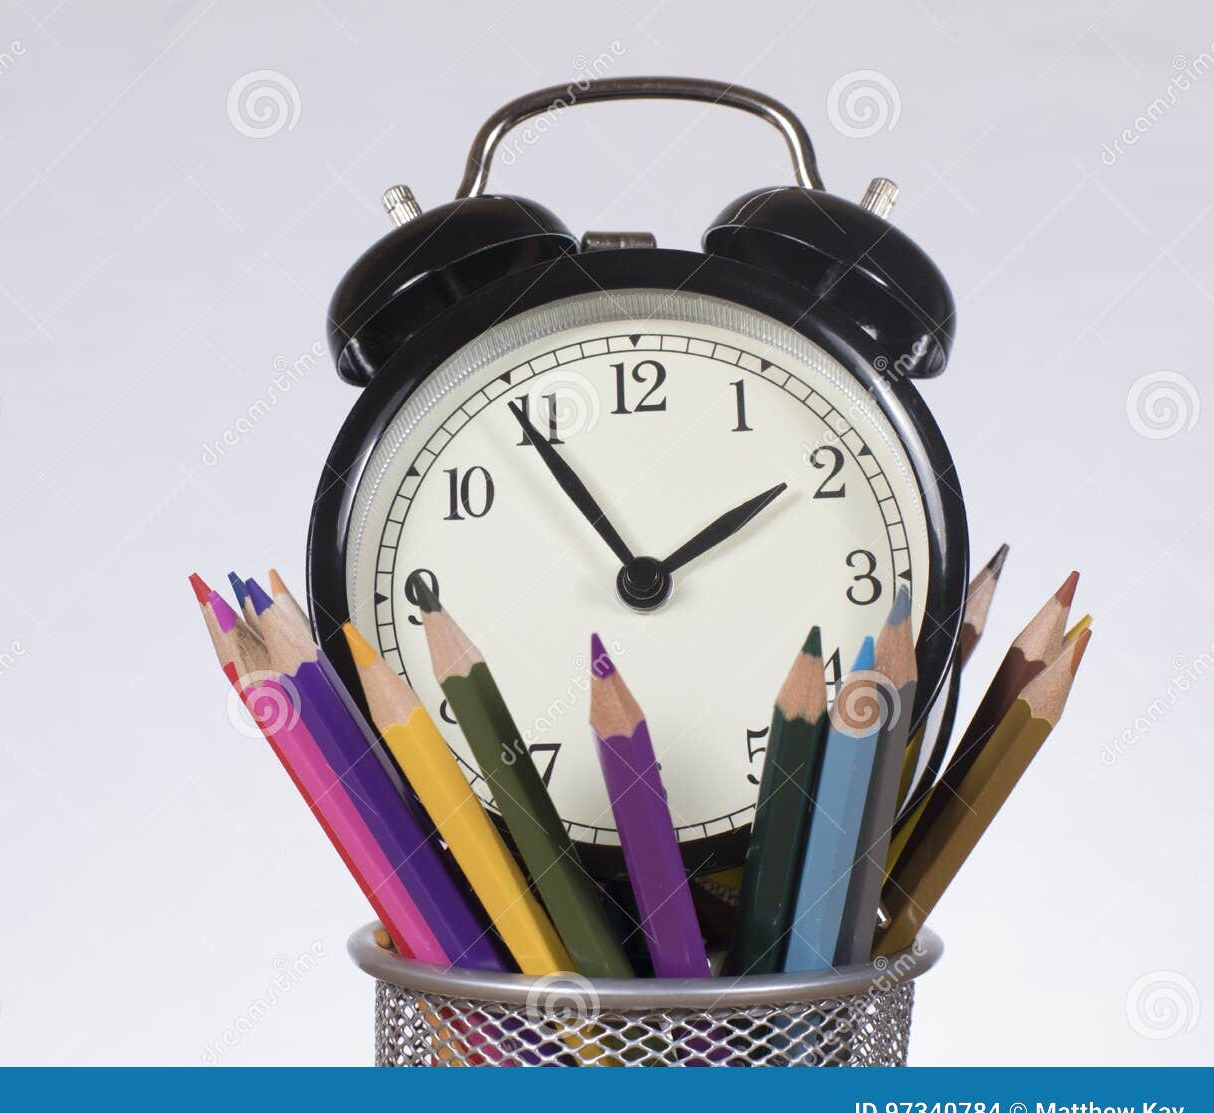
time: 1:54
